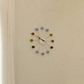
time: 9:50
